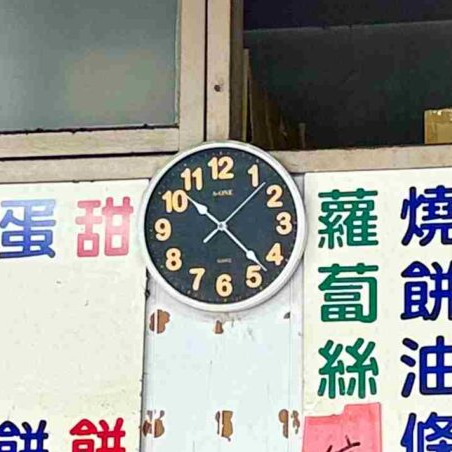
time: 10:22
